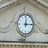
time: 12:14
